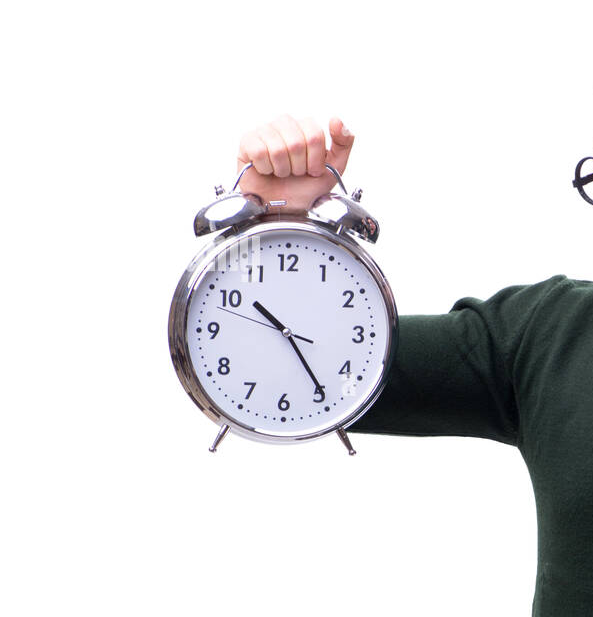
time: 10:24
